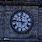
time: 11:46
